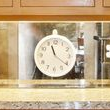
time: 11:21
